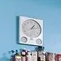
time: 1:12
